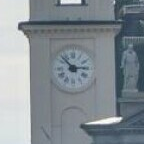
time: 2:52
